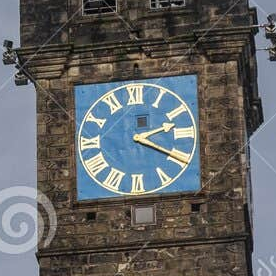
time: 2:19
